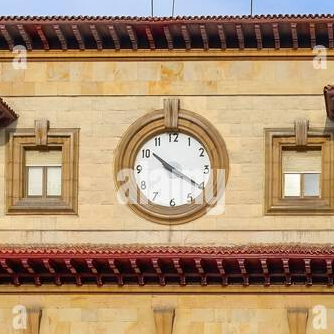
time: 10:20
